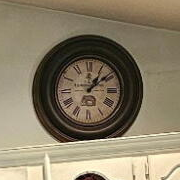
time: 1:08
